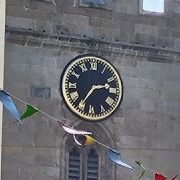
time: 2:36
